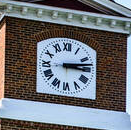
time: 3:13
